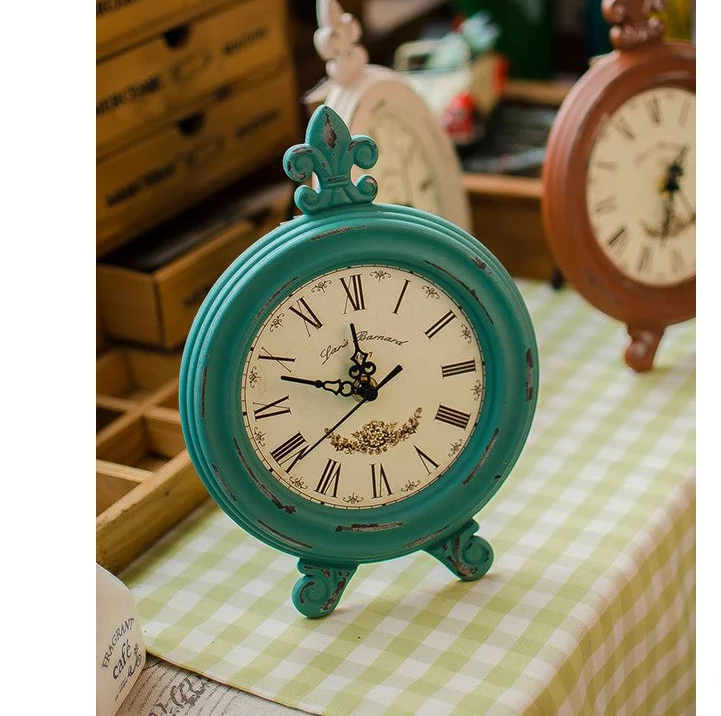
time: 11:48
